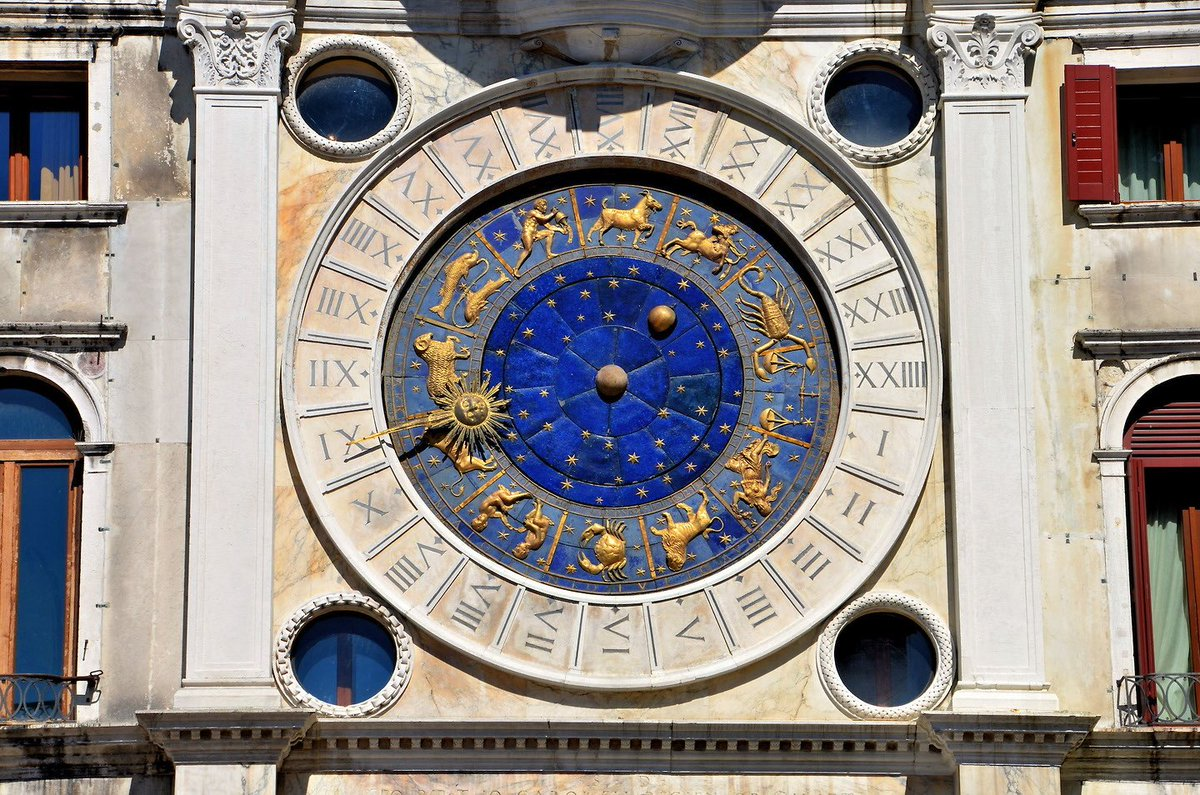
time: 1:18
